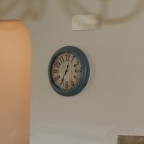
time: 12:34
